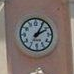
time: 2:05
